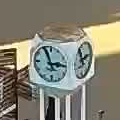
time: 2:56
